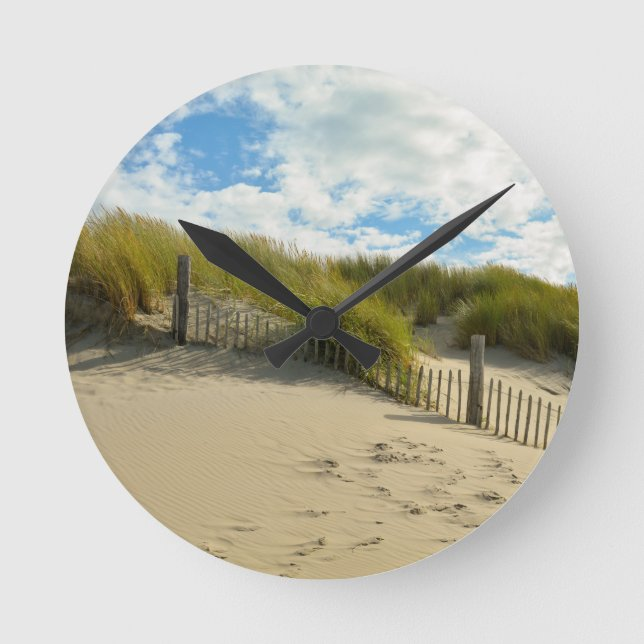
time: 10:08
